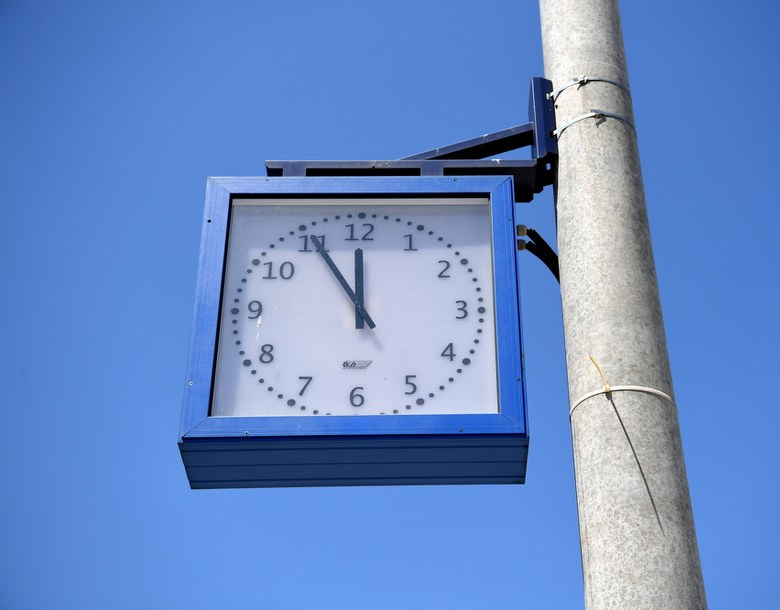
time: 11:55
